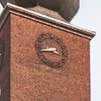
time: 3:43
